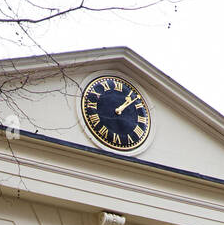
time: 1:07
